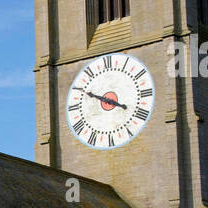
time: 3:49
